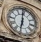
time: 5:59
